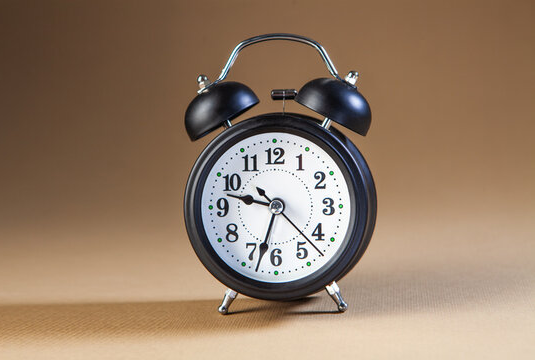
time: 9:33
